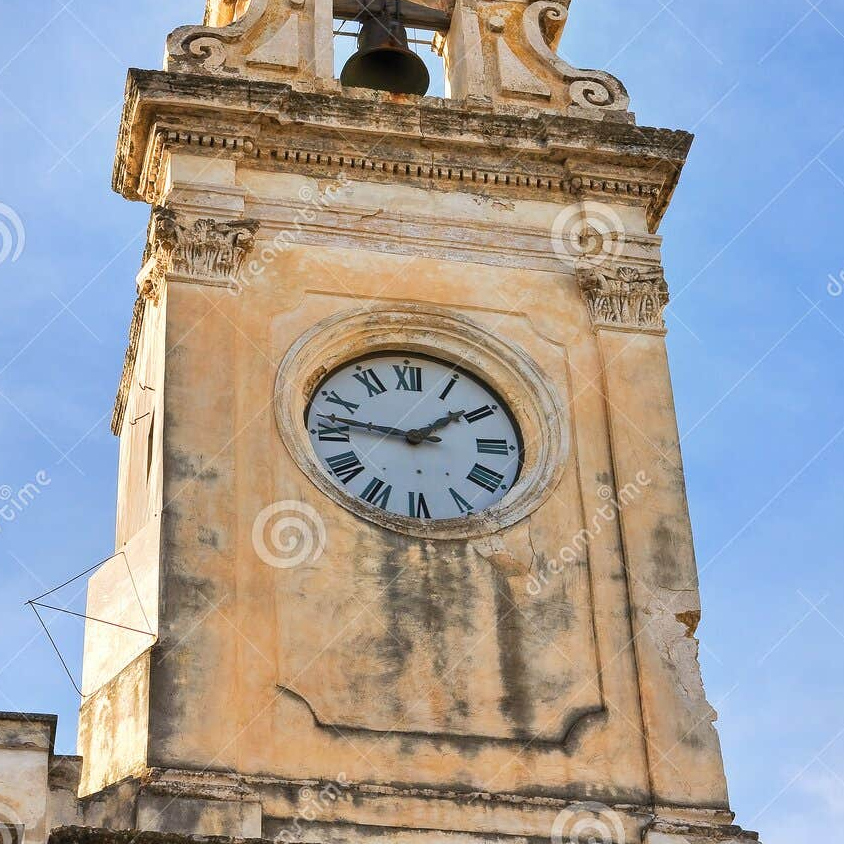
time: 1:46
